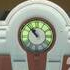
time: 10:52
